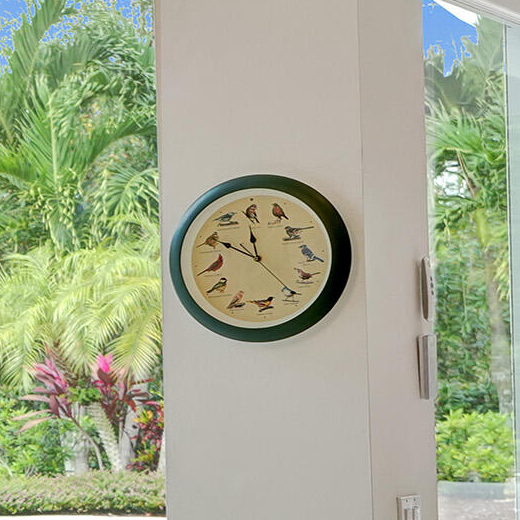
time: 11:50
